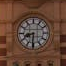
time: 8:31
